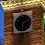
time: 2:29
